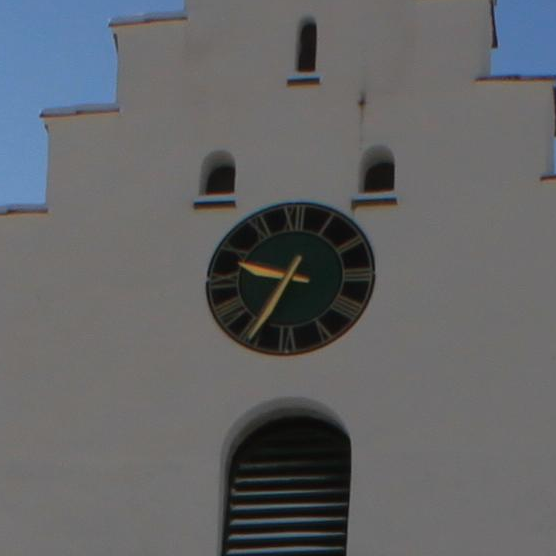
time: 9:34
